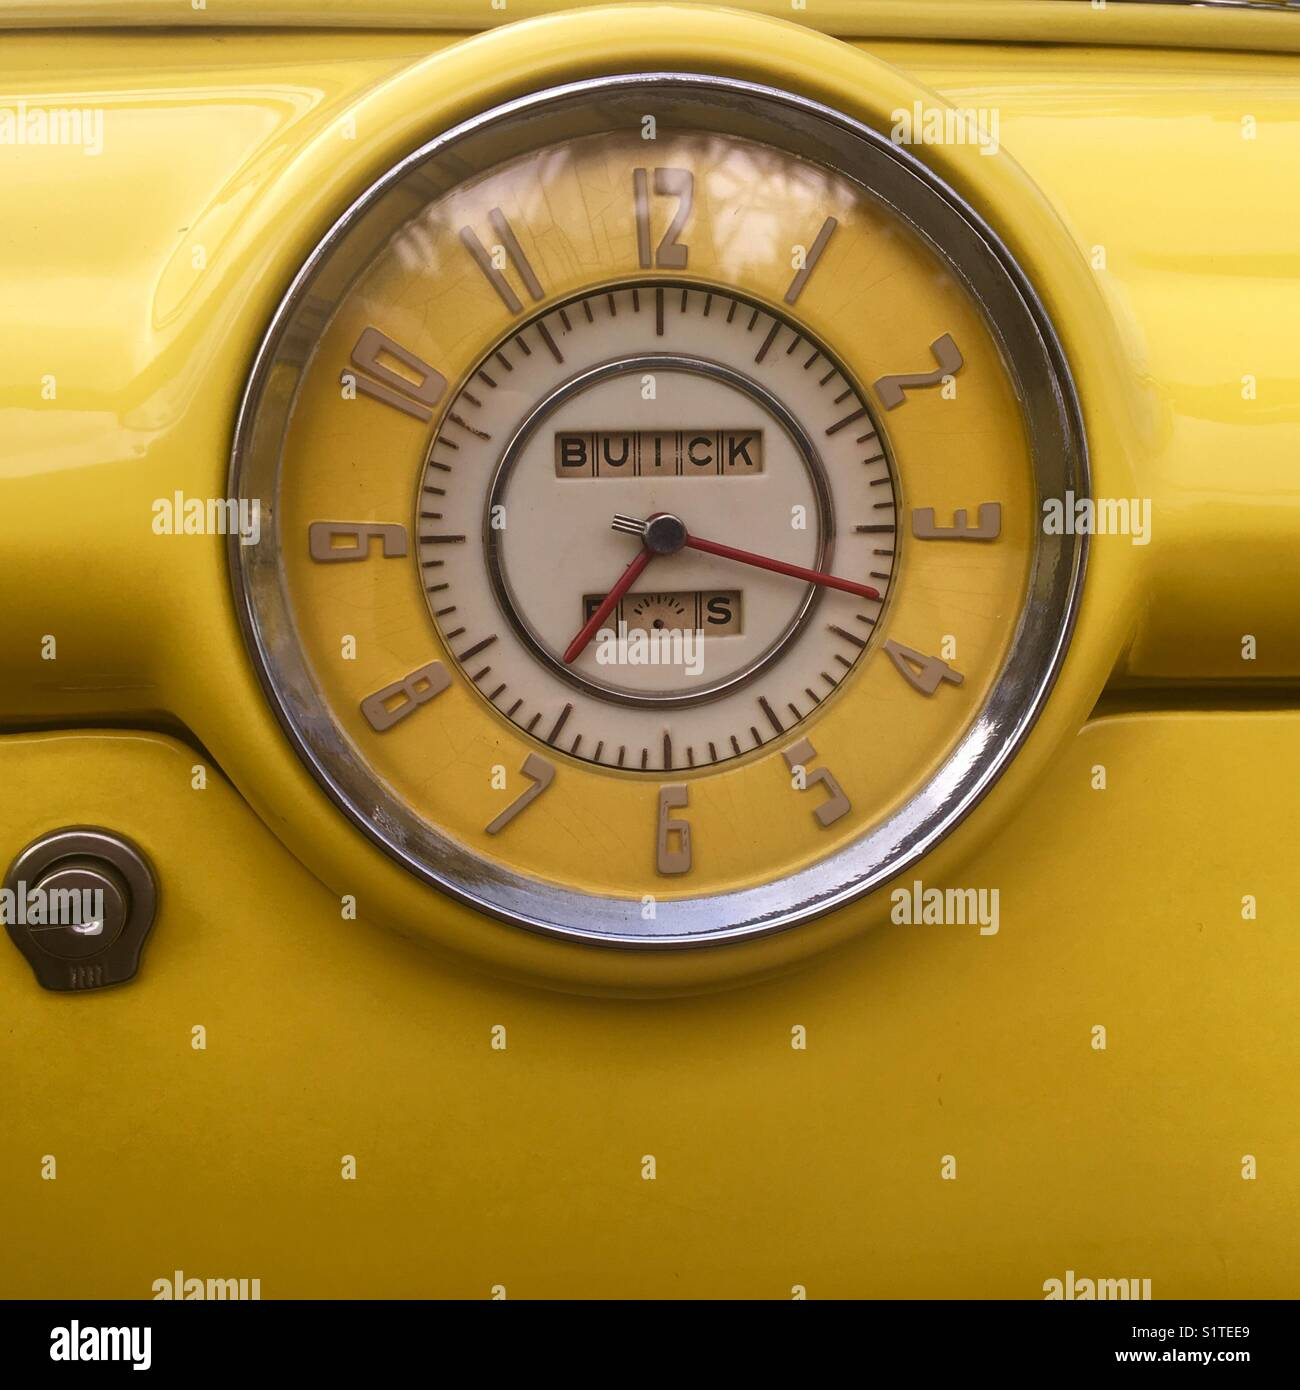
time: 7:17
